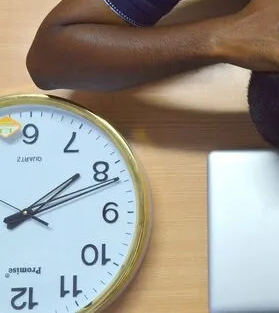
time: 2:09
